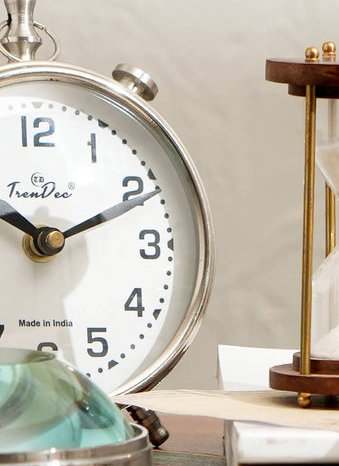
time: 10:11
